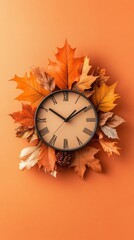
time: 10:10
